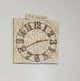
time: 2:40
